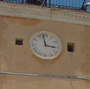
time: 2:58
